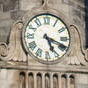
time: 5:18
